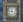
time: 11:46
